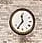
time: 11:36
